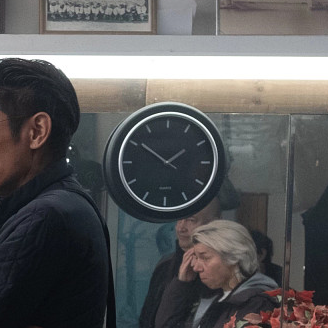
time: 1:50
